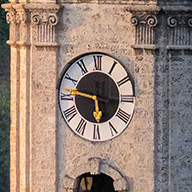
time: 5:46
